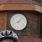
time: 8:07
